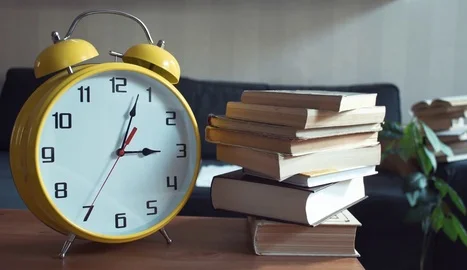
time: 3:03
